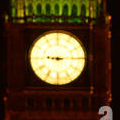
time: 9:14
